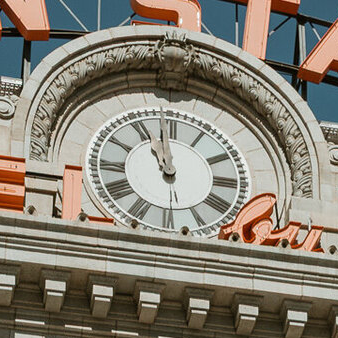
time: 10:58
